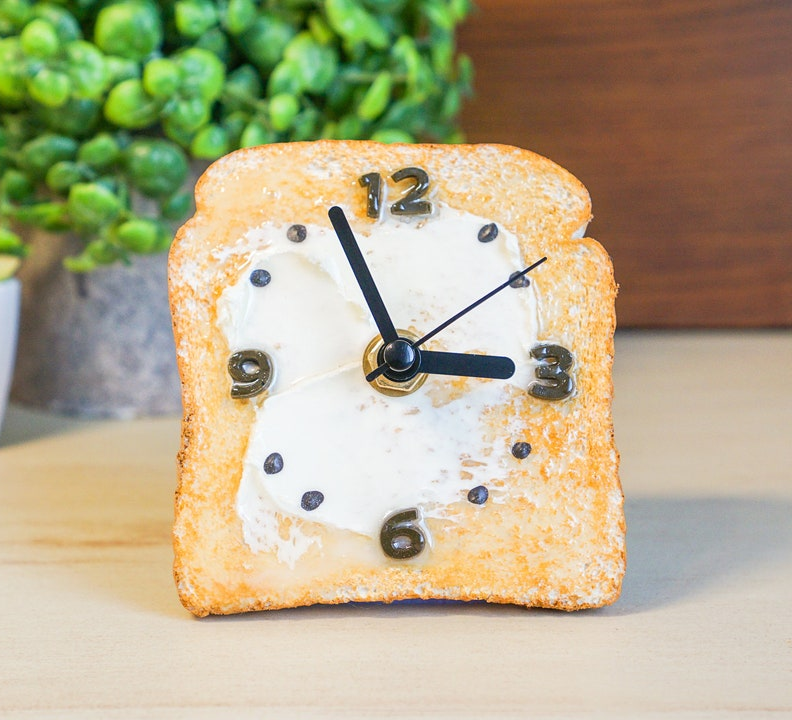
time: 2:56
